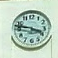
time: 3:47
